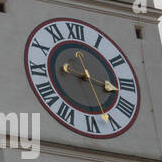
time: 9:17
